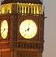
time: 8:01
